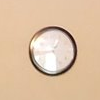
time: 12:42
